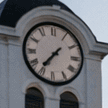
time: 7:36
